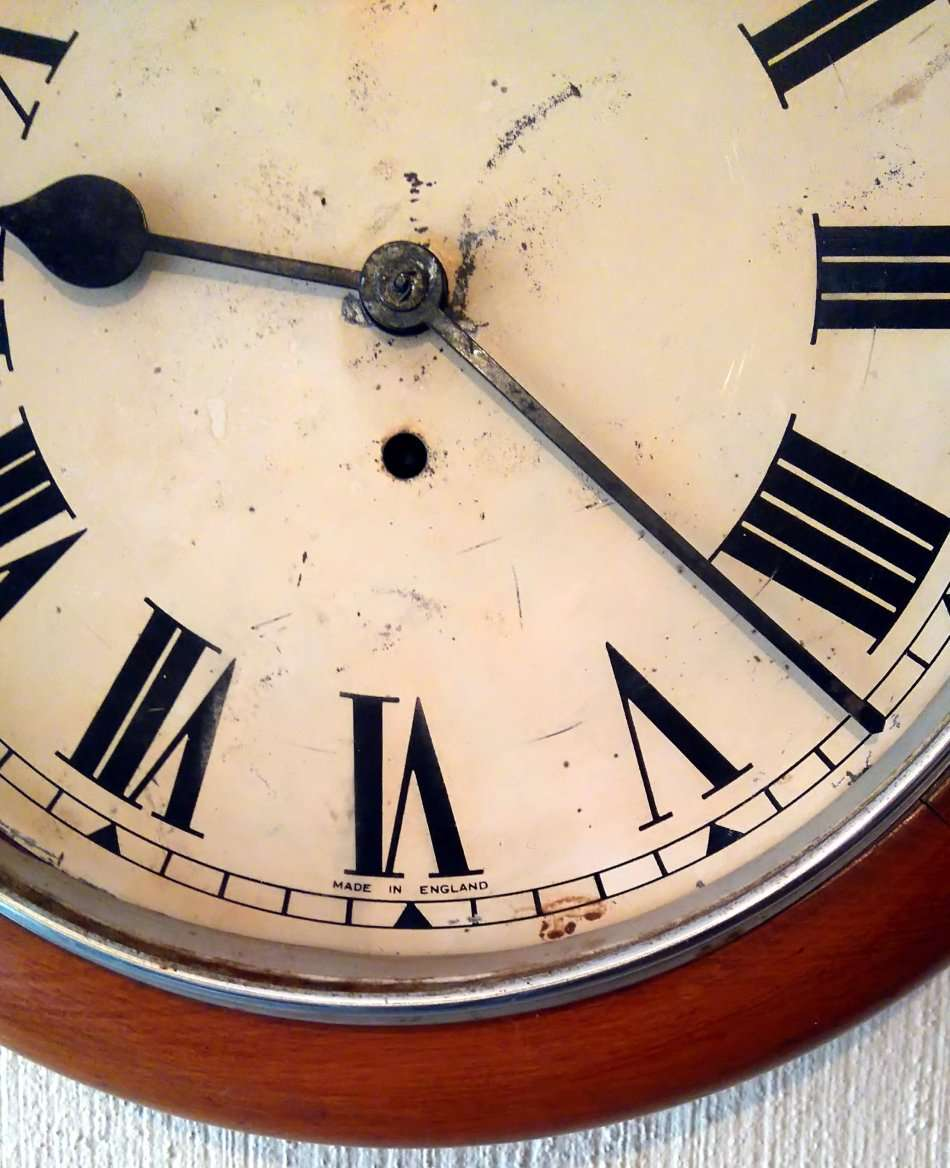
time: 9:21
